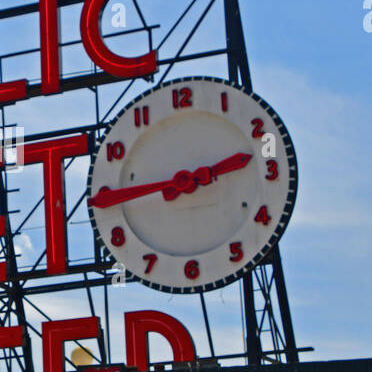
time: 2:44
